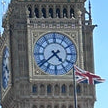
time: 4:38
